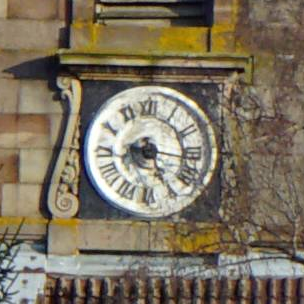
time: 8:25
